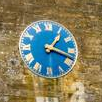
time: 1:18
